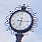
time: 6:15
